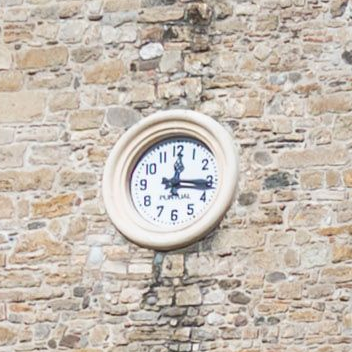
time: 12:16
